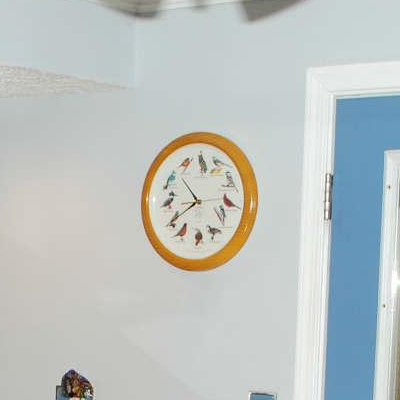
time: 10:39
